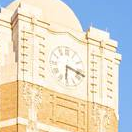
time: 6:17
